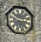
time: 2:48
